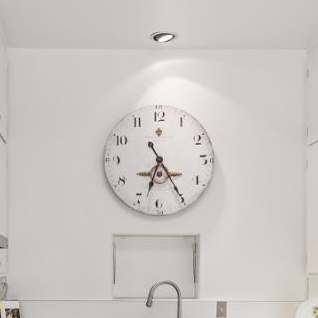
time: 6:24
